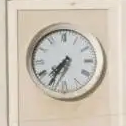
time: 7:35
